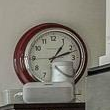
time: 1:12
